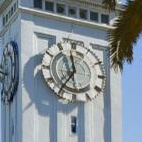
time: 11:35
